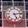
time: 5:13
